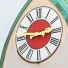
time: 9:13
